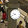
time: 9:41
